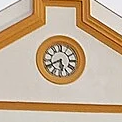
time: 5:40
